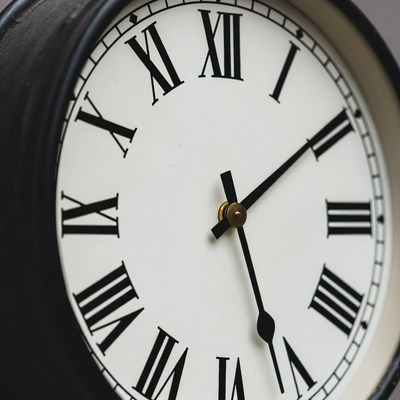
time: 5:09
